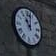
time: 11:02
